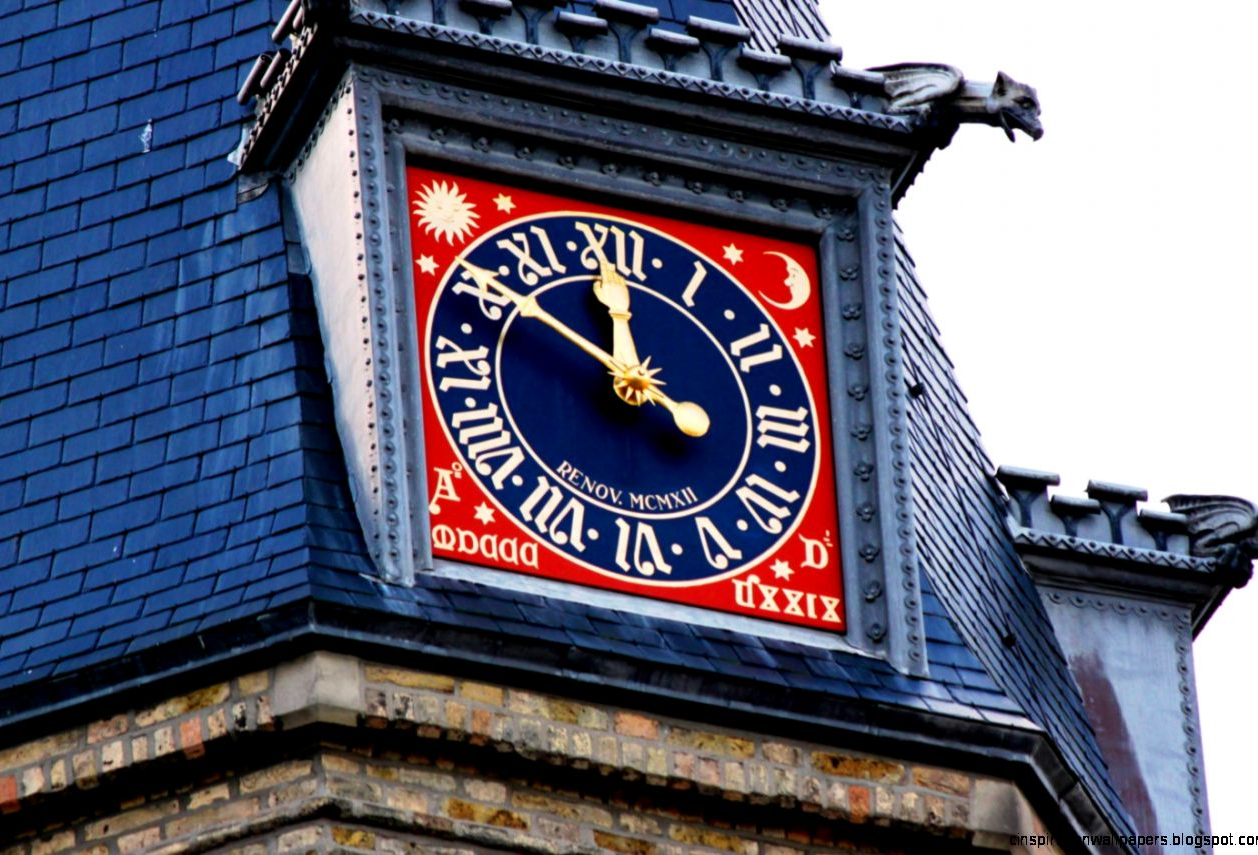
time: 11:50
